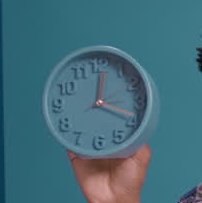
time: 12:18
